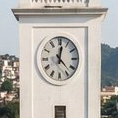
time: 12:22
